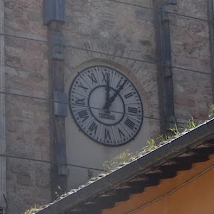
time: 12:06
